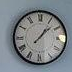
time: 1:07
